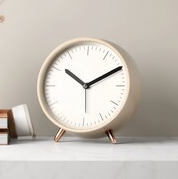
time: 10:10
